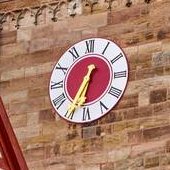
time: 6:34
